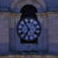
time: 6:54
